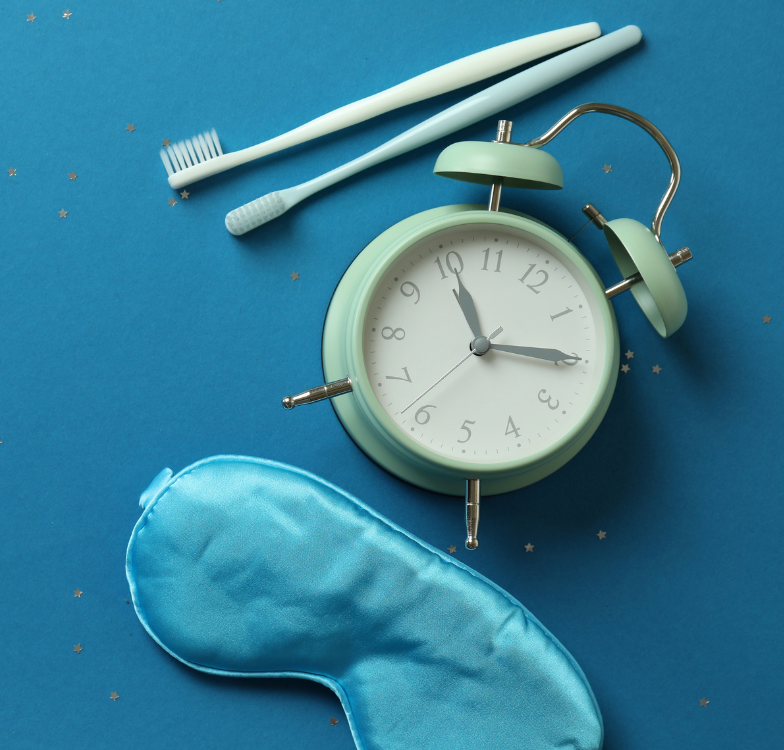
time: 11:14
